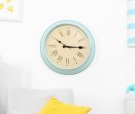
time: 10:14
